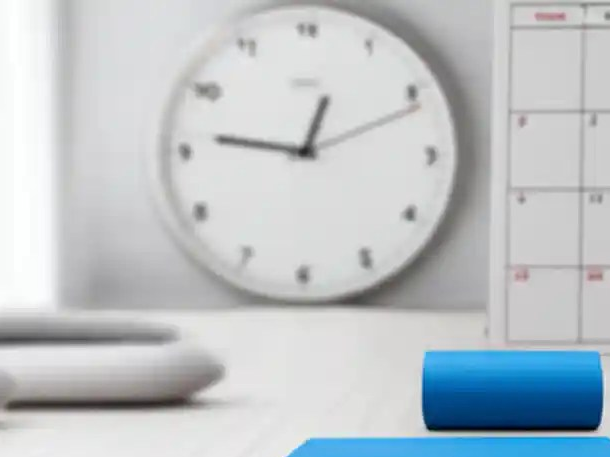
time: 12:46
